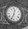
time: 12:33
